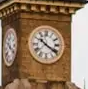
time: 10:20
